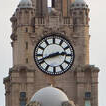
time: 2:41
